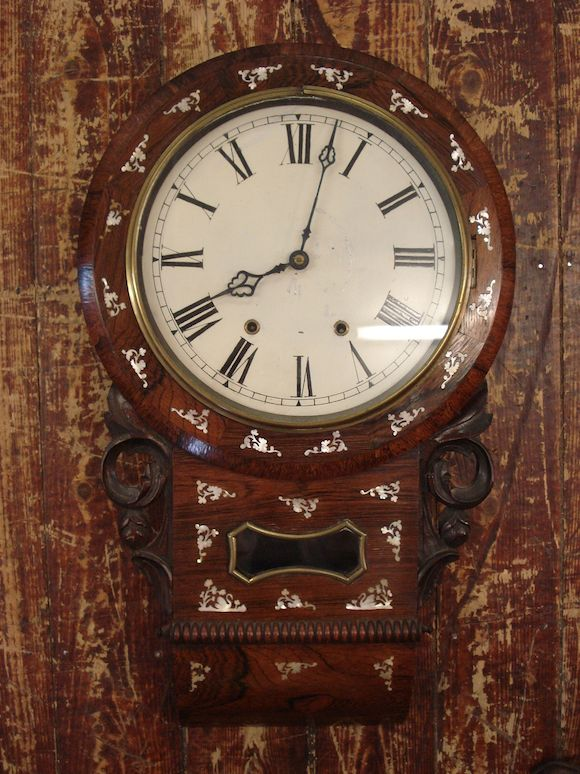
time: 8:02
